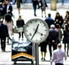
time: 12:35
